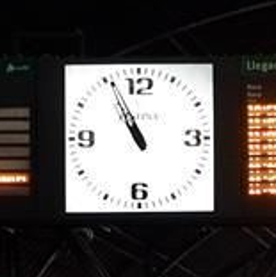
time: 10:55
